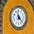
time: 11:22
